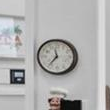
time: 11:36
